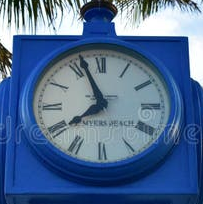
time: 7:56
